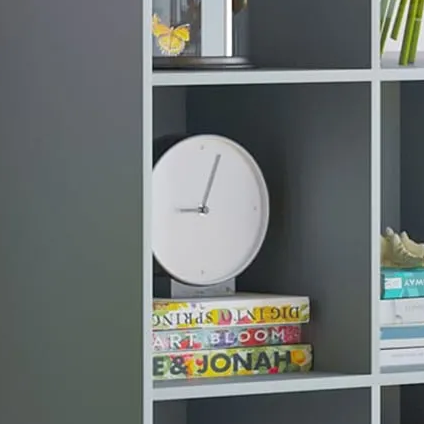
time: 9:03
